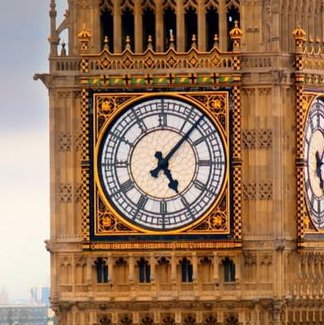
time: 5:07
